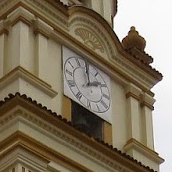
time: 1:59
